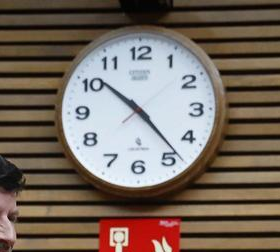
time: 10:23
